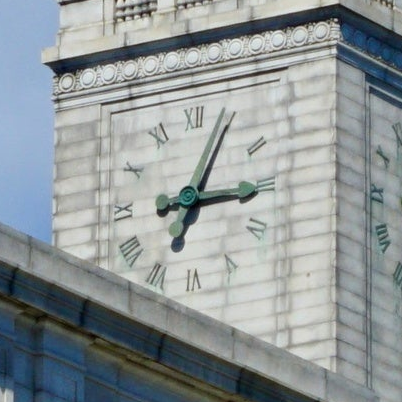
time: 3:04
